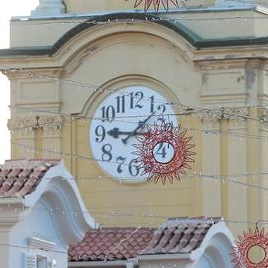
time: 9:08
